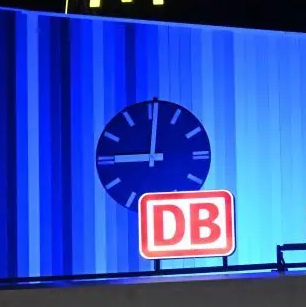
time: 9:01
